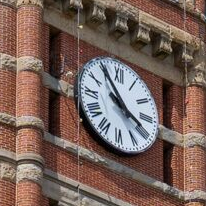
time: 3:54
